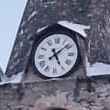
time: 5:08
